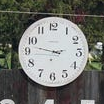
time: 2:46
